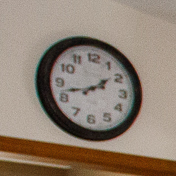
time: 1:42
